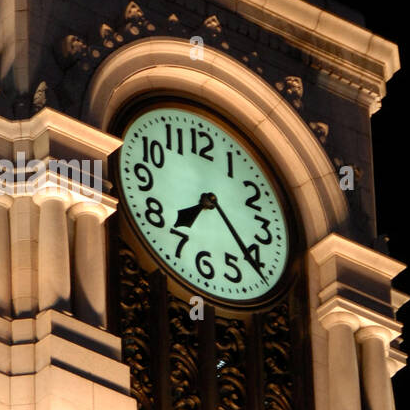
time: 7:21
